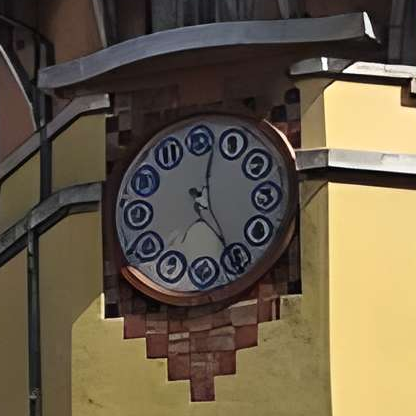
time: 12:24
